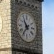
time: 10:36
